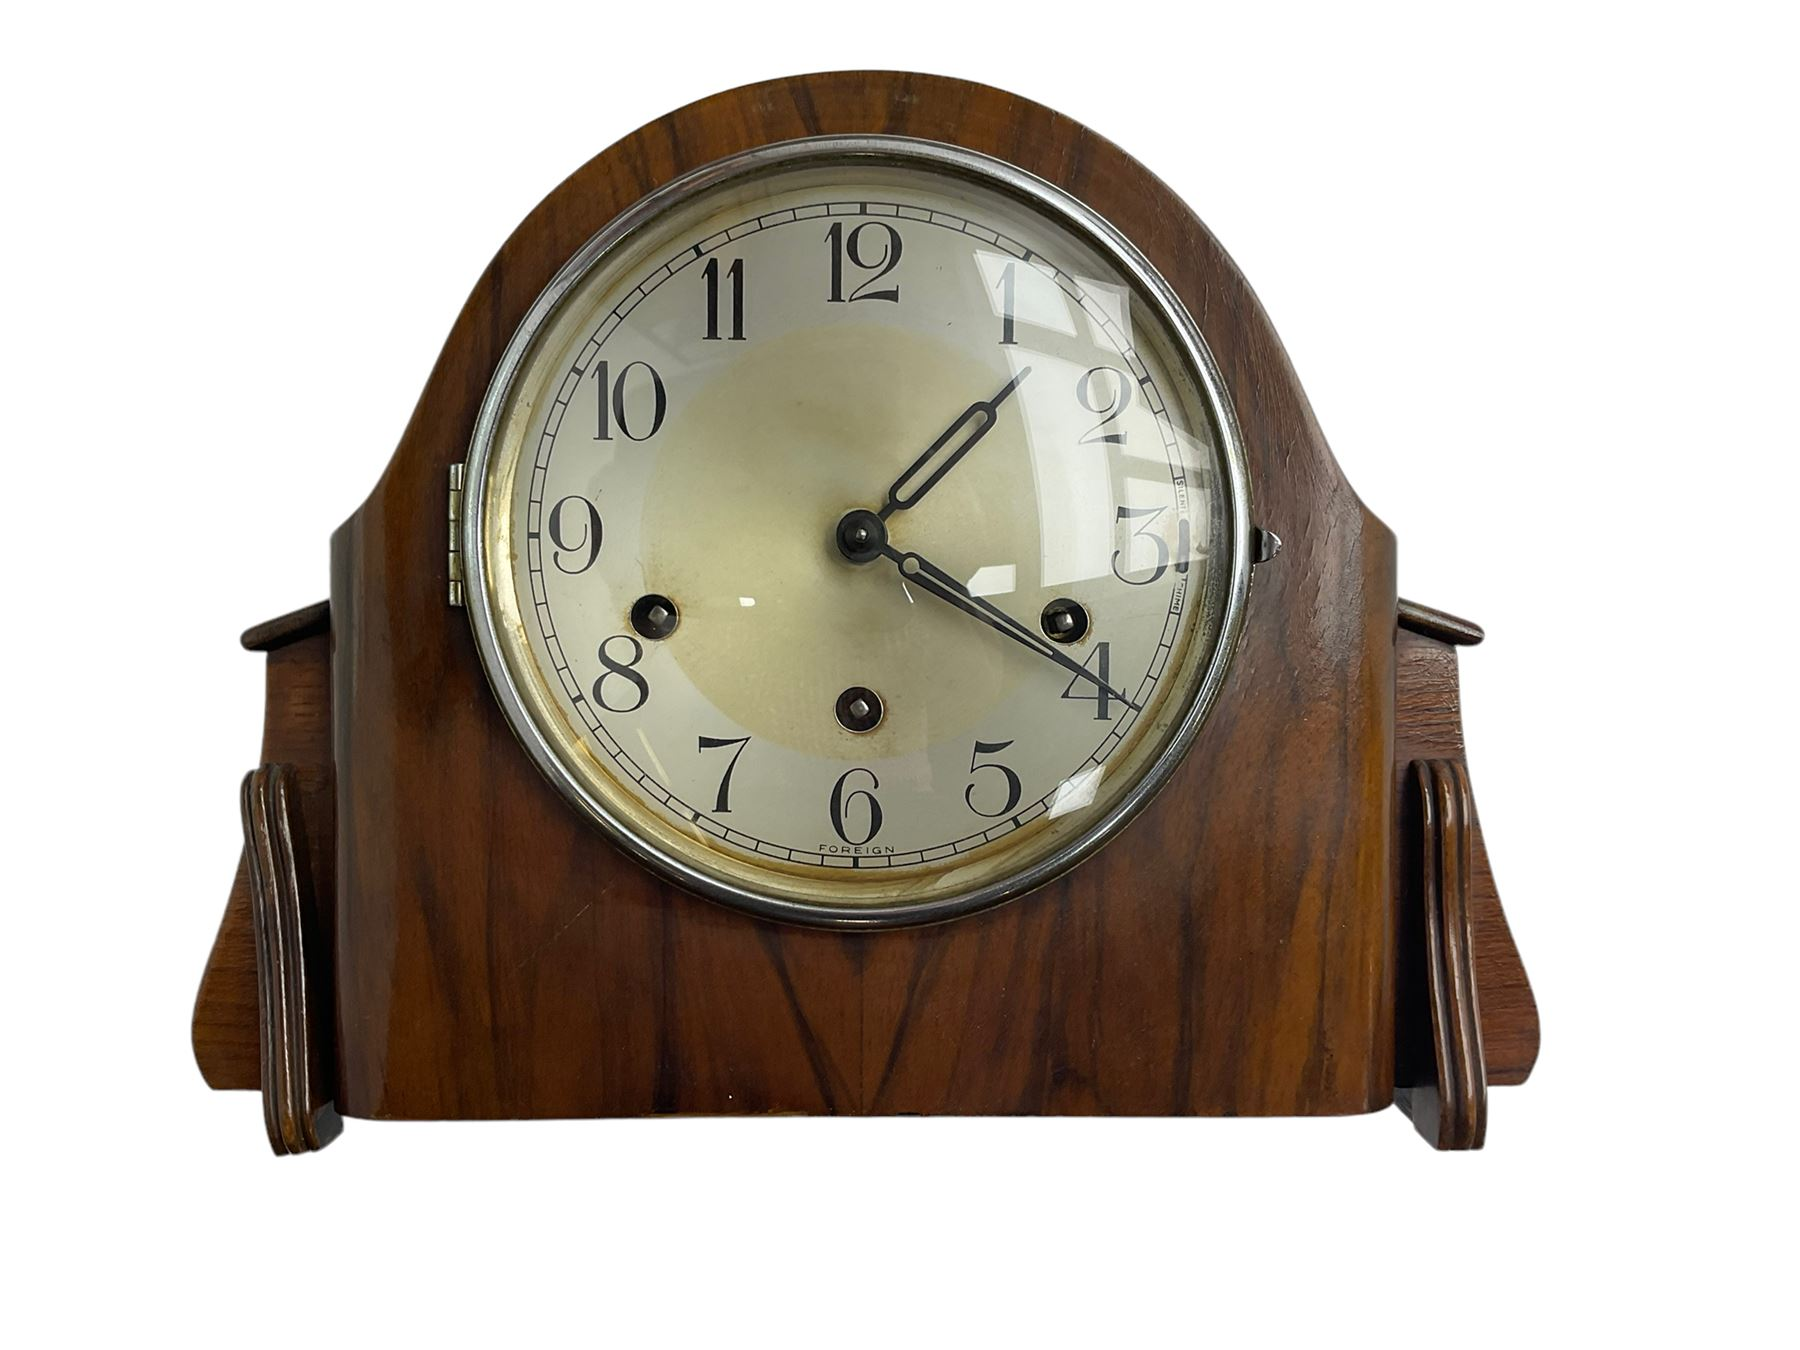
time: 1:19
